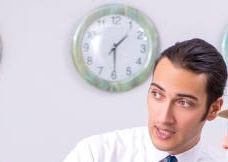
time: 1:29
